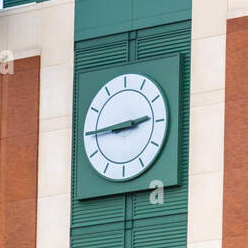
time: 2:44
